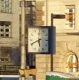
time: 5:40
